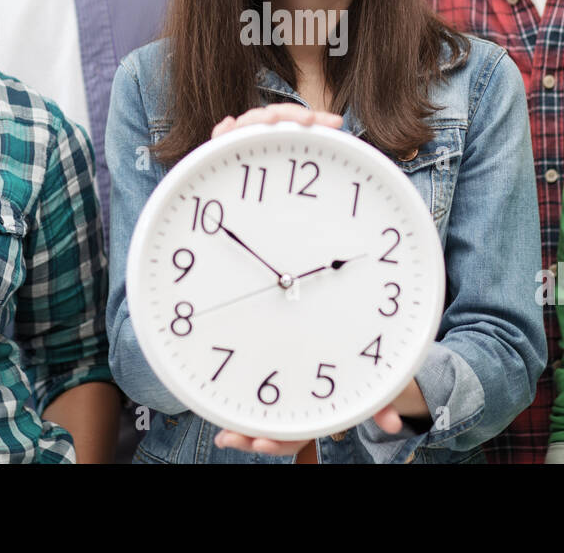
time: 1:49
